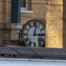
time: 3:02
